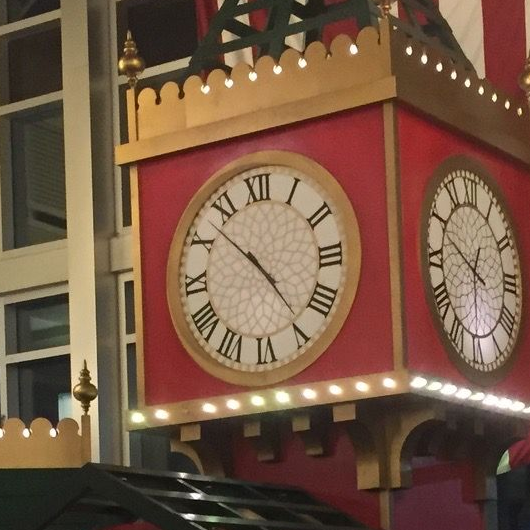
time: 4:52
